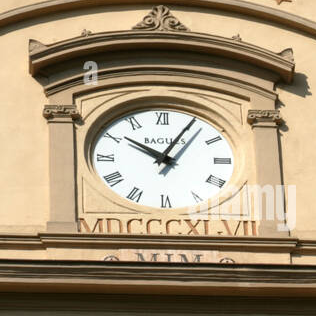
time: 10:04
